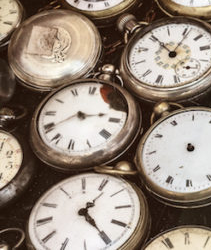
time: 2:39
